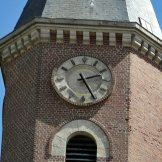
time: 2:25
